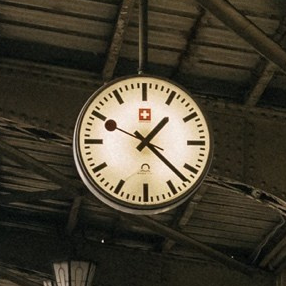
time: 1:22
